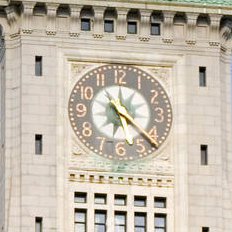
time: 6:22
